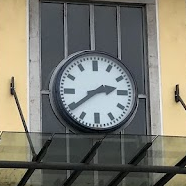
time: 2:39
